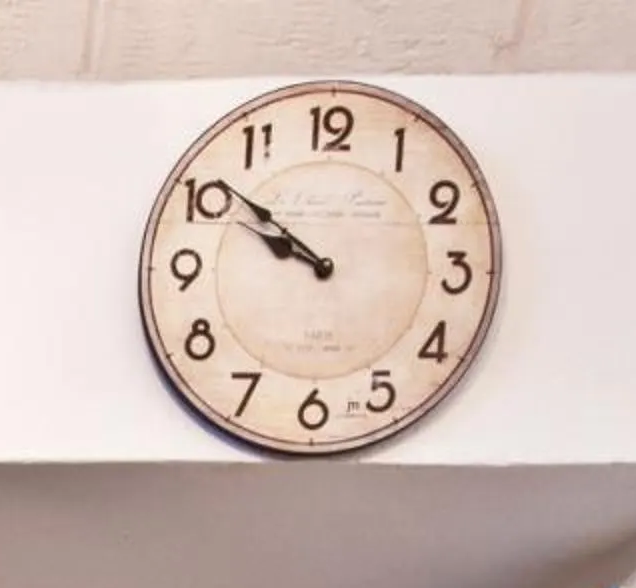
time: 9:51
